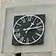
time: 1:13
